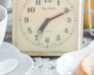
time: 7:10
